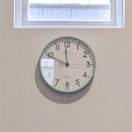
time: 11:49
